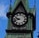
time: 9:42
